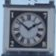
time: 1:51
